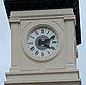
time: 4:11
